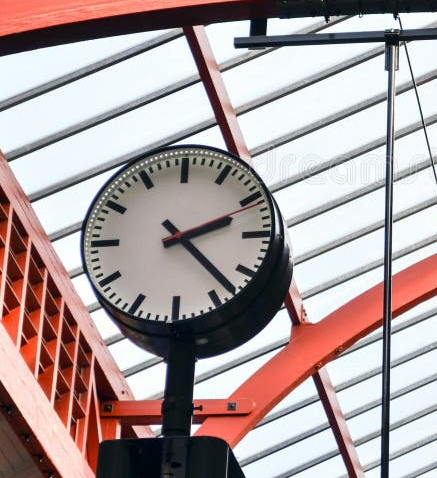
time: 2:23
